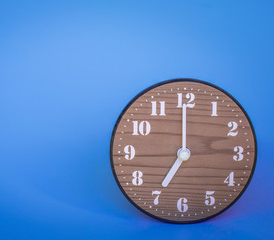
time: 6:59
